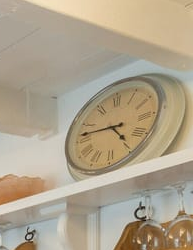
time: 4:46
